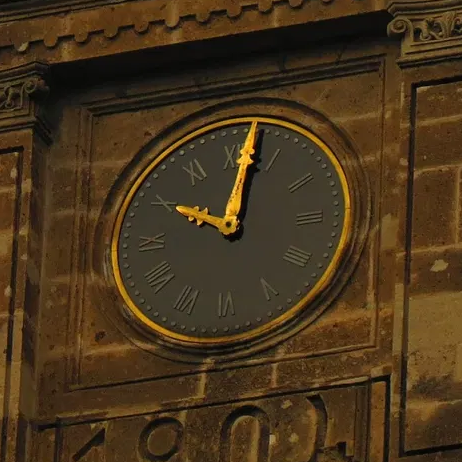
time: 10:01
